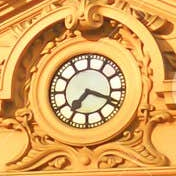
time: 7:18
